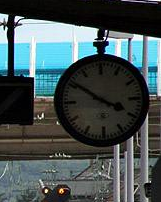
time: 3:50
